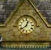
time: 12:38
